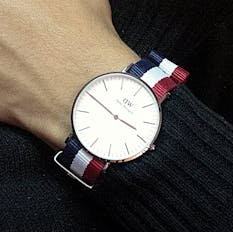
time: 3:50
